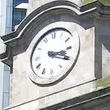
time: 3:19
